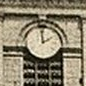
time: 1:59
